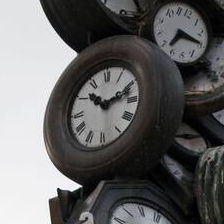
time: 10:12
